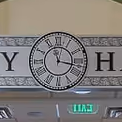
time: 11:17
